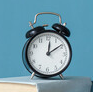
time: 12:09
